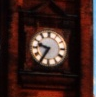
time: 9:35
